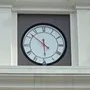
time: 5:51
